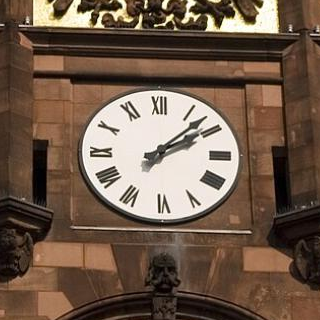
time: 2:07
